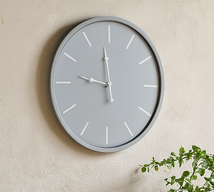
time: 11:46
